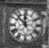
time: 11:52
